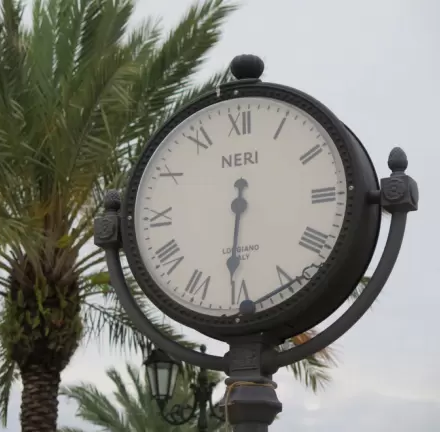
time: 6:31
